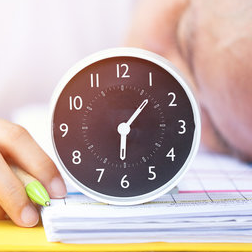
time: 6:06
